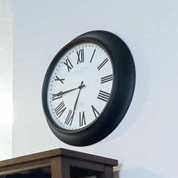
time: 6:45
